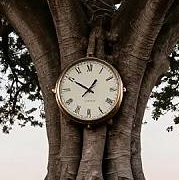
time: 12:49
